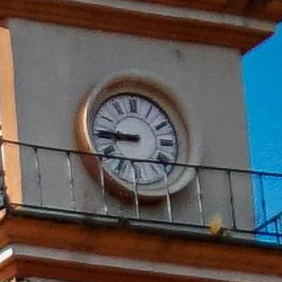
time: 8:45
